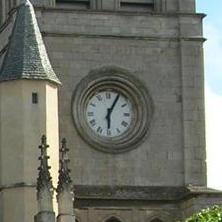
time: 6:05
